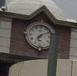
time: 7:09
